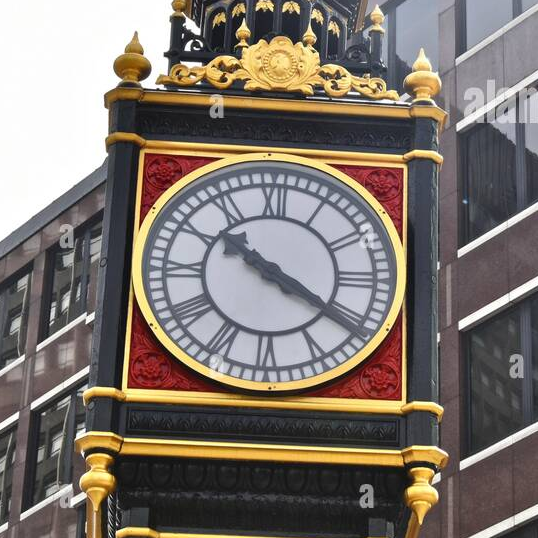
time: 10:20
